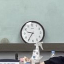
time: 9:35
